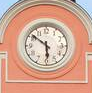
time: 5:51
